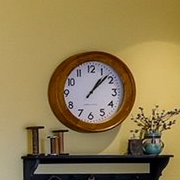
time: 1:07
